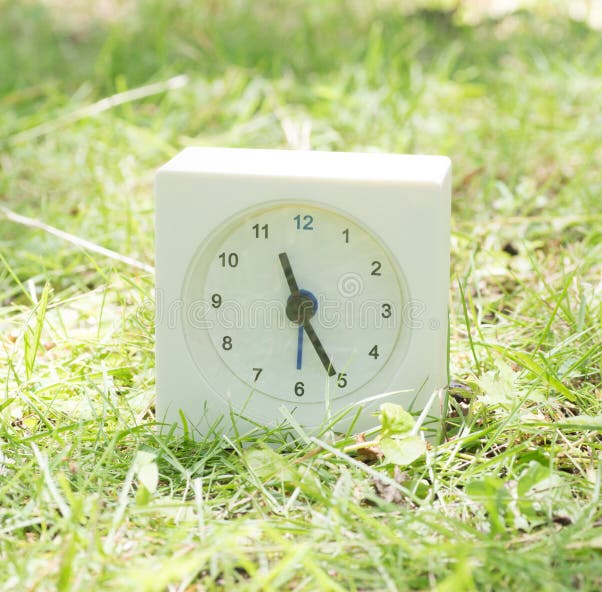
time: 11:25
